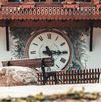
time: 5:15
